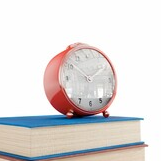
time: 1:51
